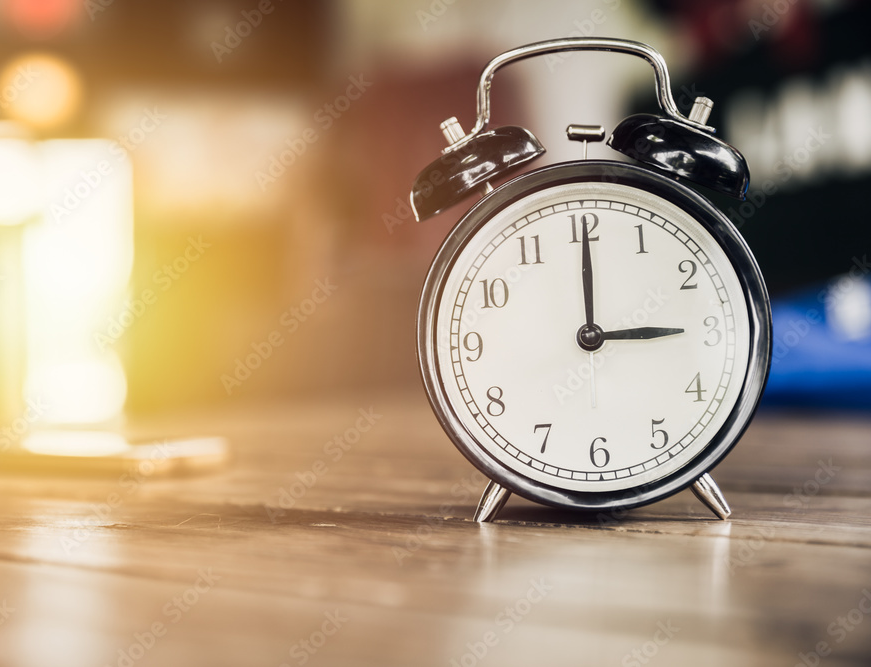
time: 3:00
